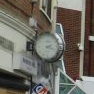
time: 2:18
